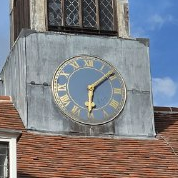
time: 6:09
